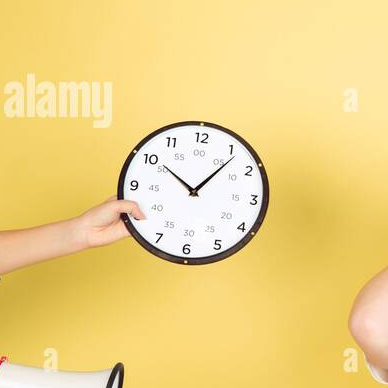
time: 10:06
